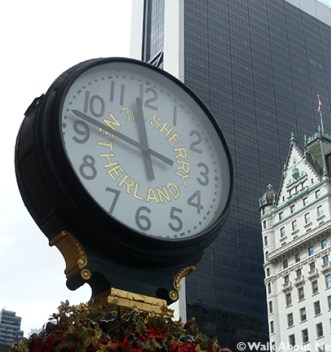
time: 11:47
